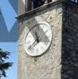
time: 11:37
